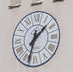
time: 1:32
